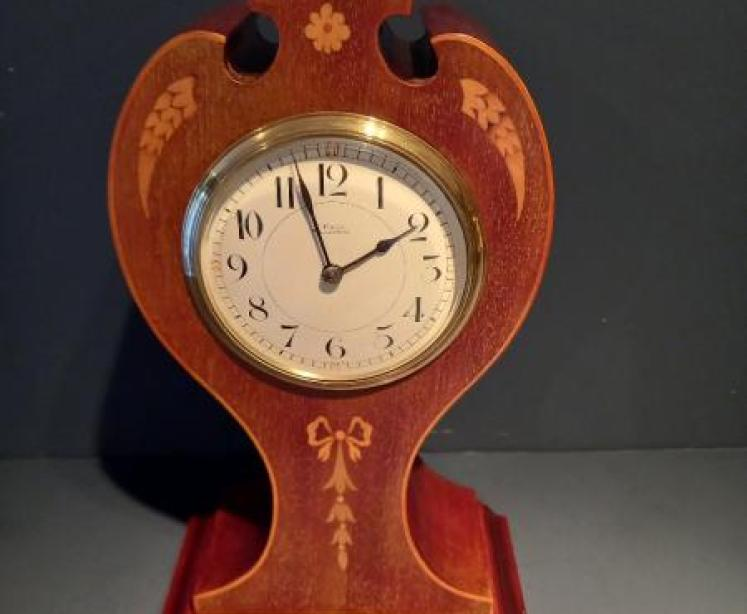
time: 1:57
